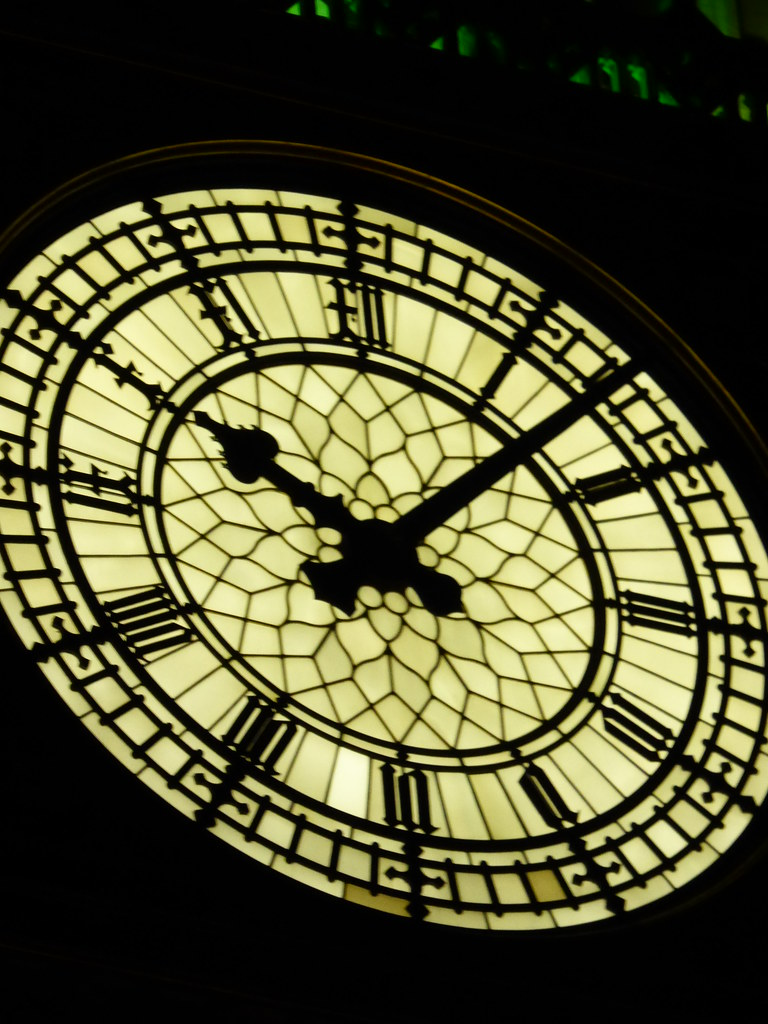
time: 10:07
